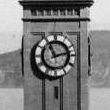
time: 11:12
